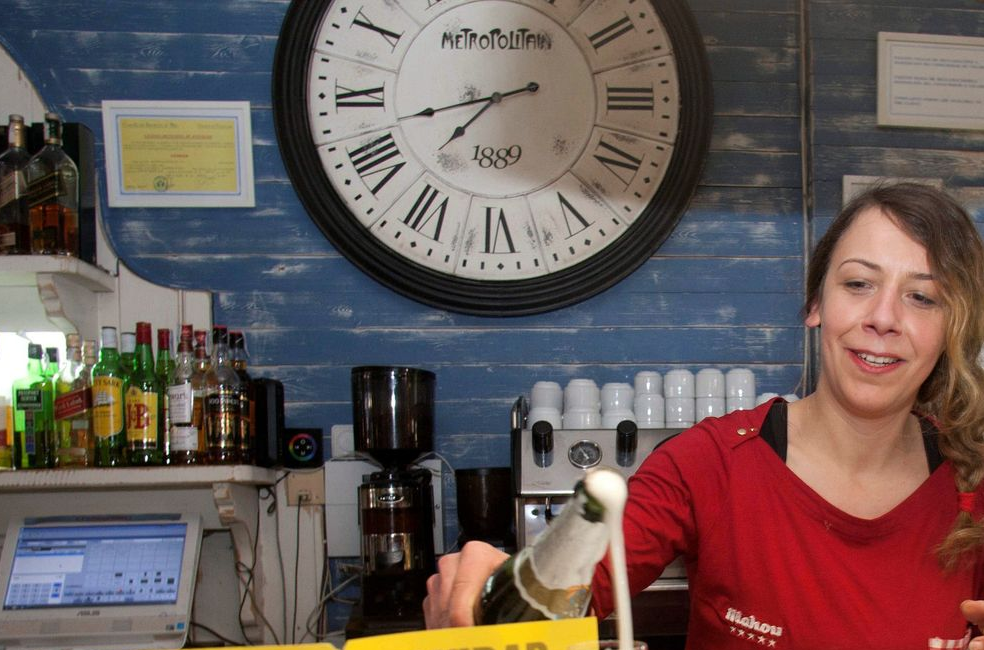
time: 7:42
